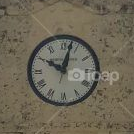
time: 10:02
